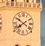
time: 7:50
